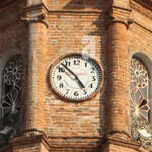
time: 4:52
